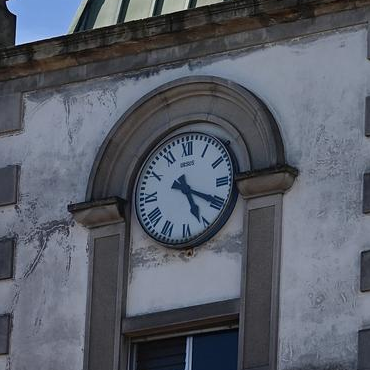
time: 5:19
